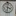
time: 3:32
